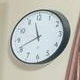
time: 11:41
